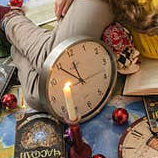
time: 10:49
